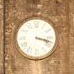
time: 3:17
